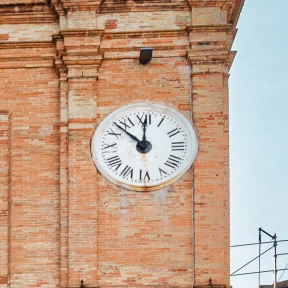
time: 11:52
